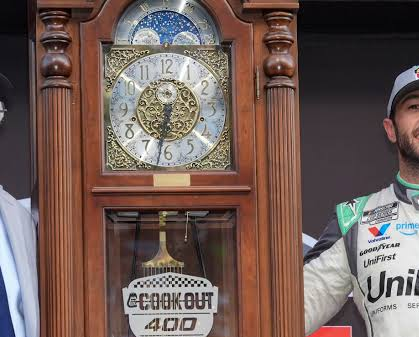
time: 6:32
